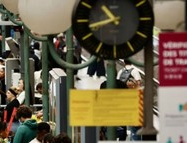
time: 10:42
